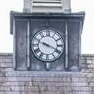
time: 3:48
